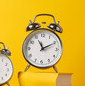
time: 11:10
